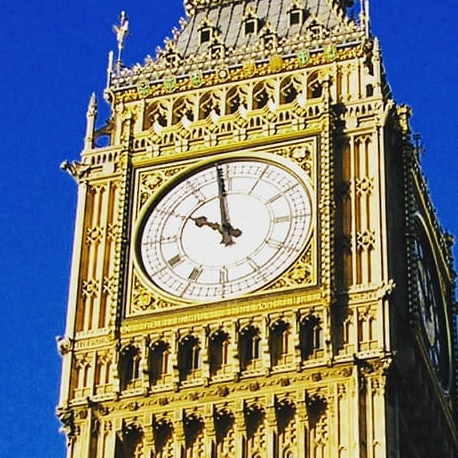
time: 9:58
